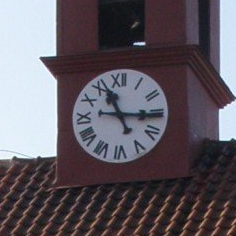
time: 11:15
